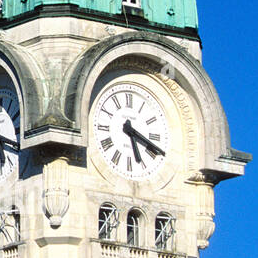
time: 5:18
